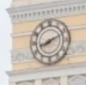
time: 8:11
